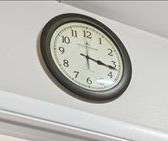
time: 3:16
